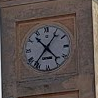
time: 10:36
